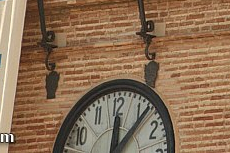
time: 12:06
